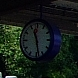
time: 11:28
